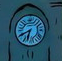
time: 6:40
